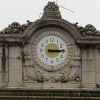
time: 3:14
